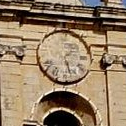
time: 1:27
